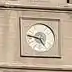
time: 4:46
